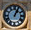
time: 1:03
